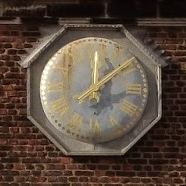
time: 12:08
